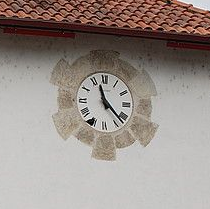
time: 11:22
